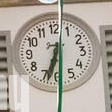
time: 6:33
